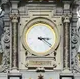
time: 3:20
